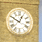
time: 12:49
